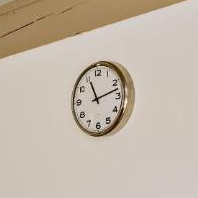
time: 11:12
